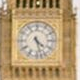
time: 4:27
